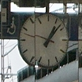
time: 1:07
